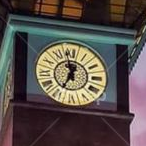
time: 6:58
